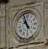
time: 10:56
